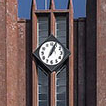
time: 1:05
